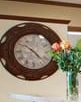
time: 10:22
